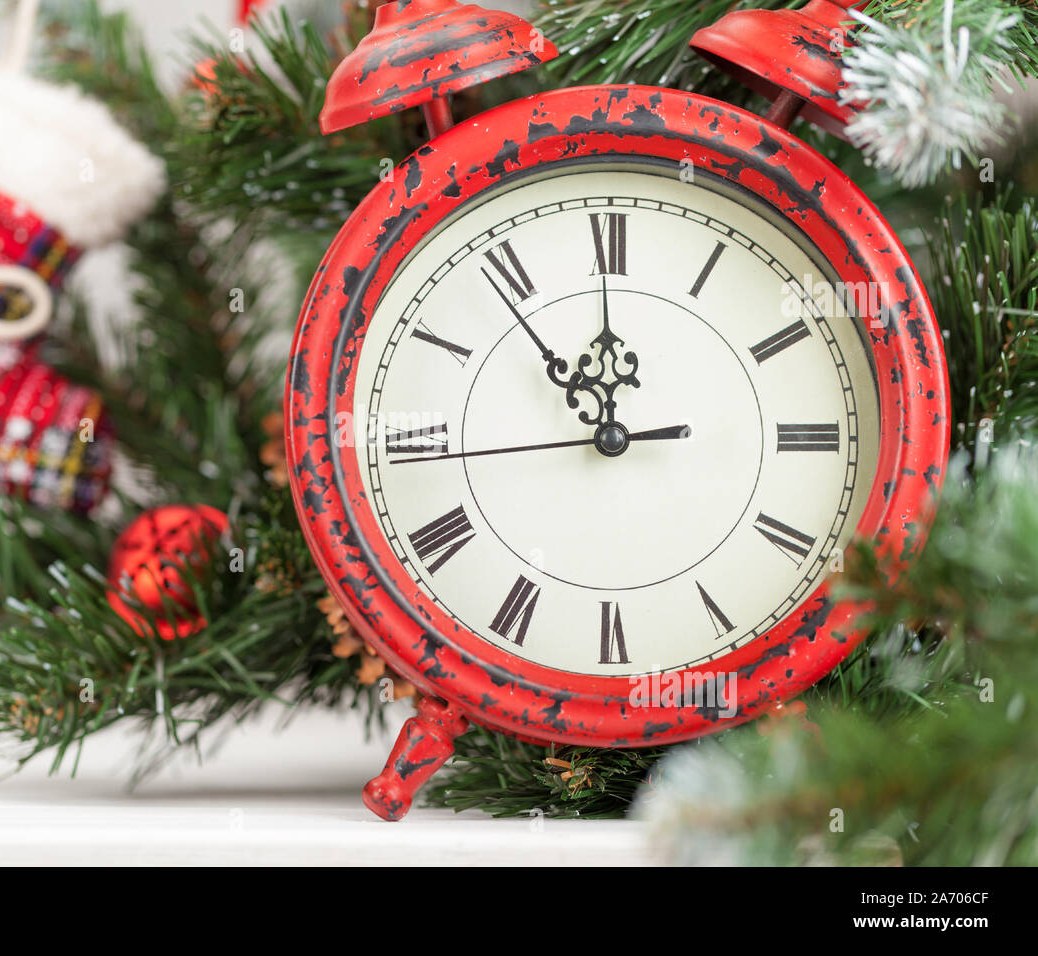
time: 11:53
